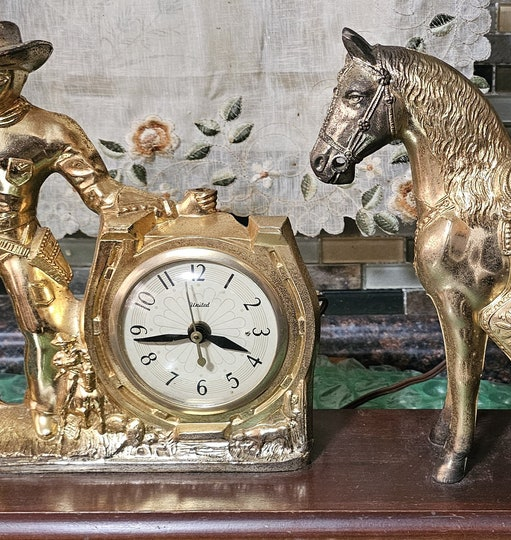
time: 3:43
